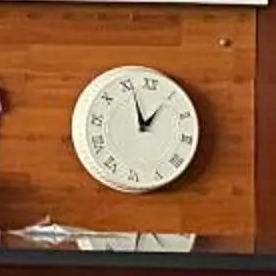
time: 12:56
